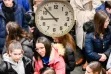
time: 8:52
